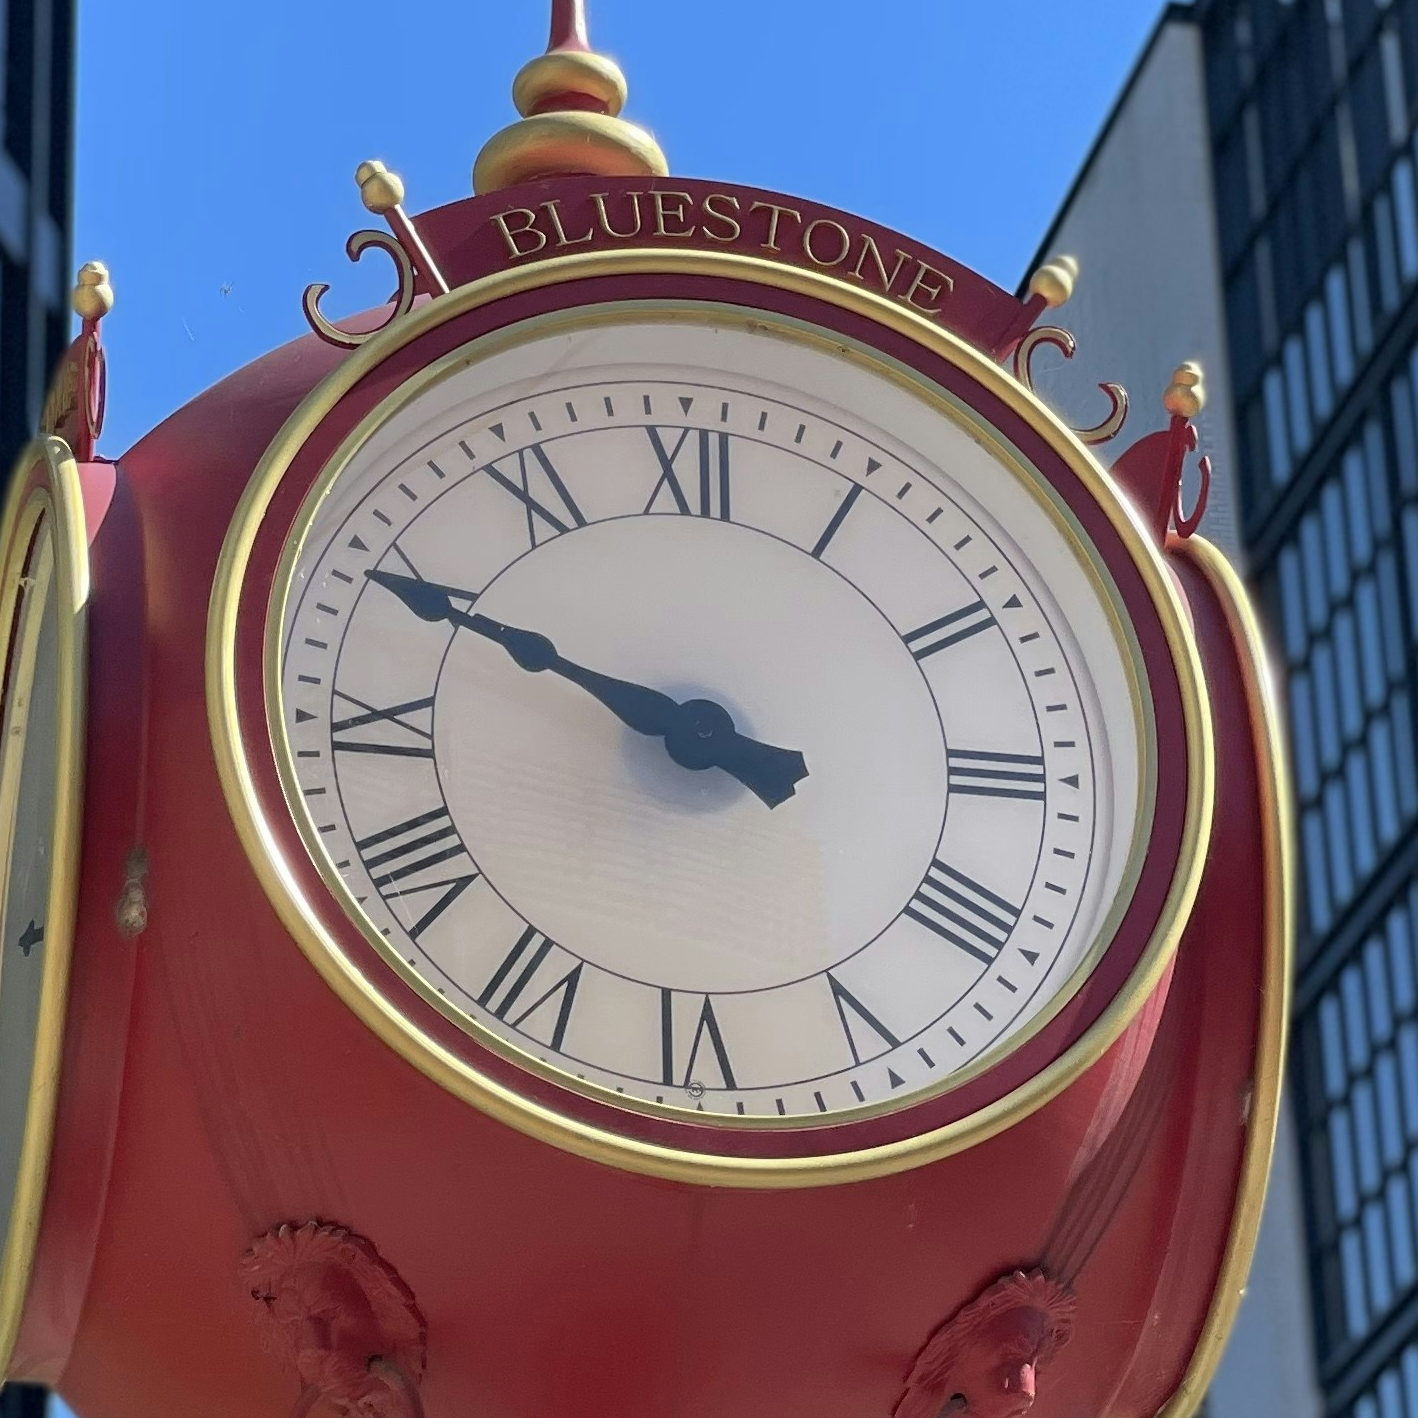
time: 9:49
